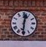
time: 12:30
